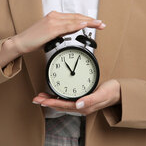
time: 11:04
